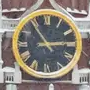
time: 2:54
